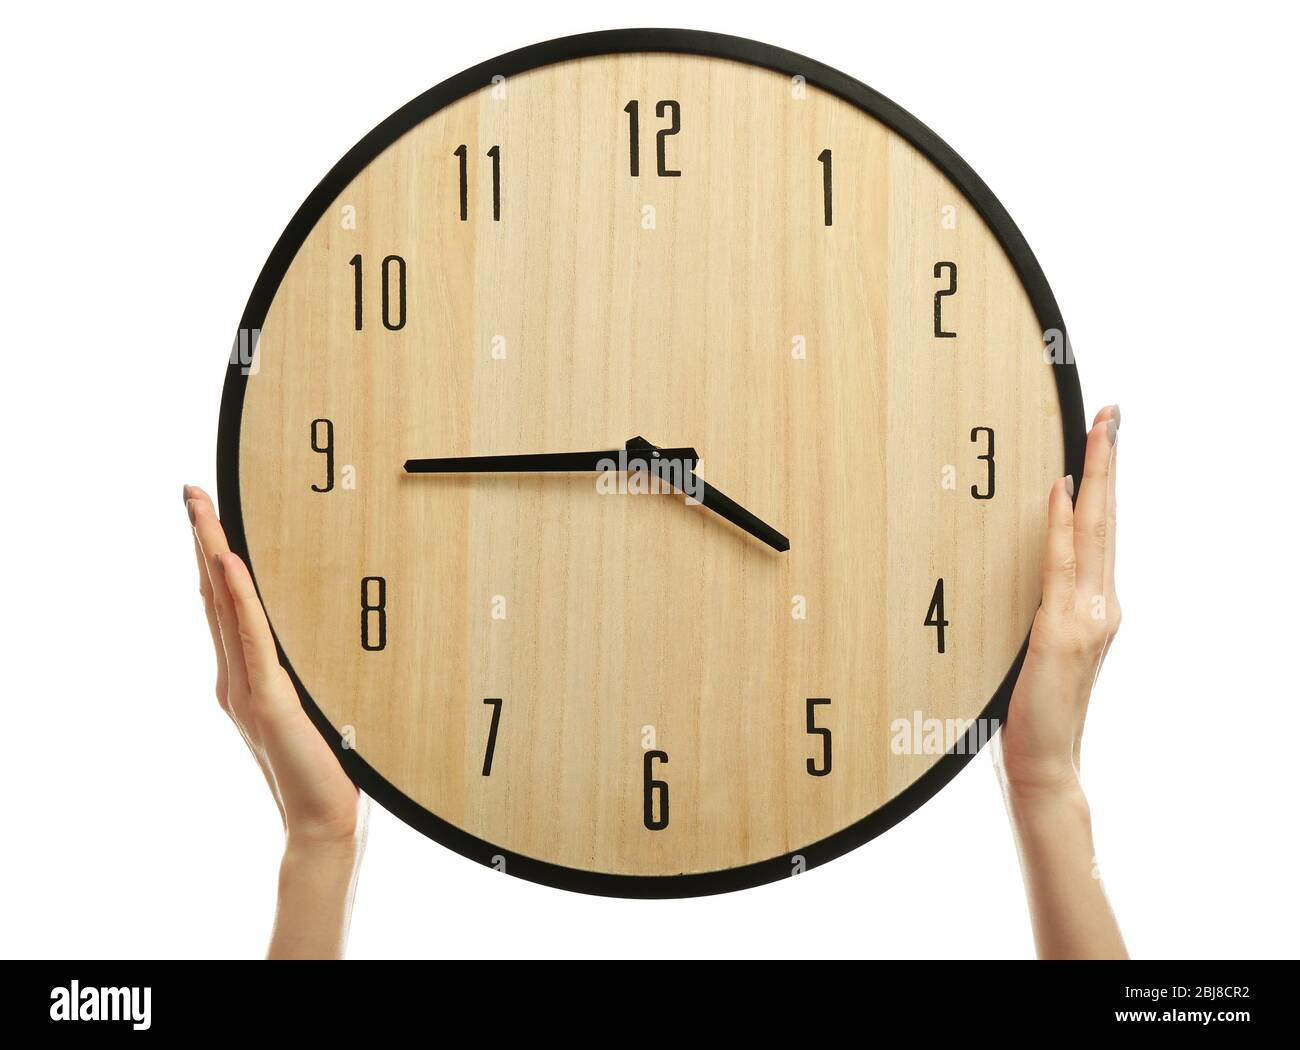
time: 3:44
